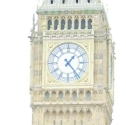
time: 1:23
